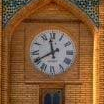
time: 11:40
